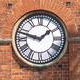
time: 1:47
